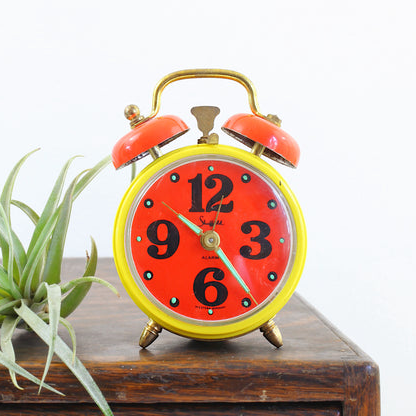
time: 10:24
